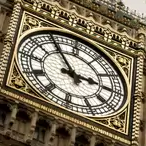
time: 2:54
